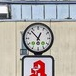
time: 12:52
